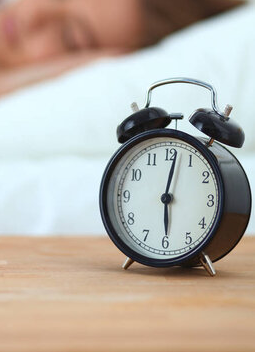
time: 6:01
